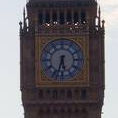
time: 5:33
